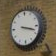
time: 3:17
